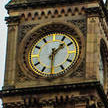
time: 1:30
